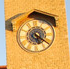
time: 5:20
